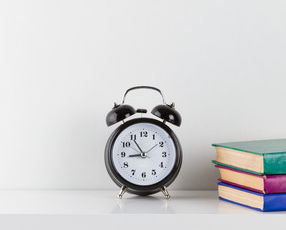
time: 8:54
